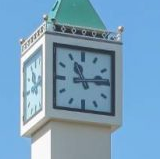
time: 11:13
